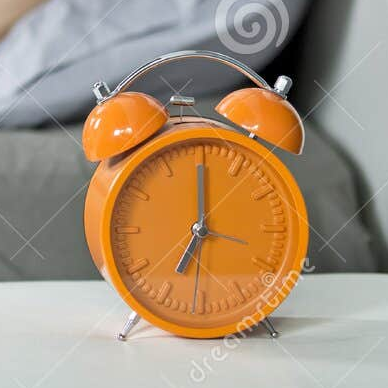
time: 7:00
